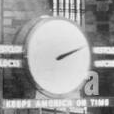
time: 2:11
